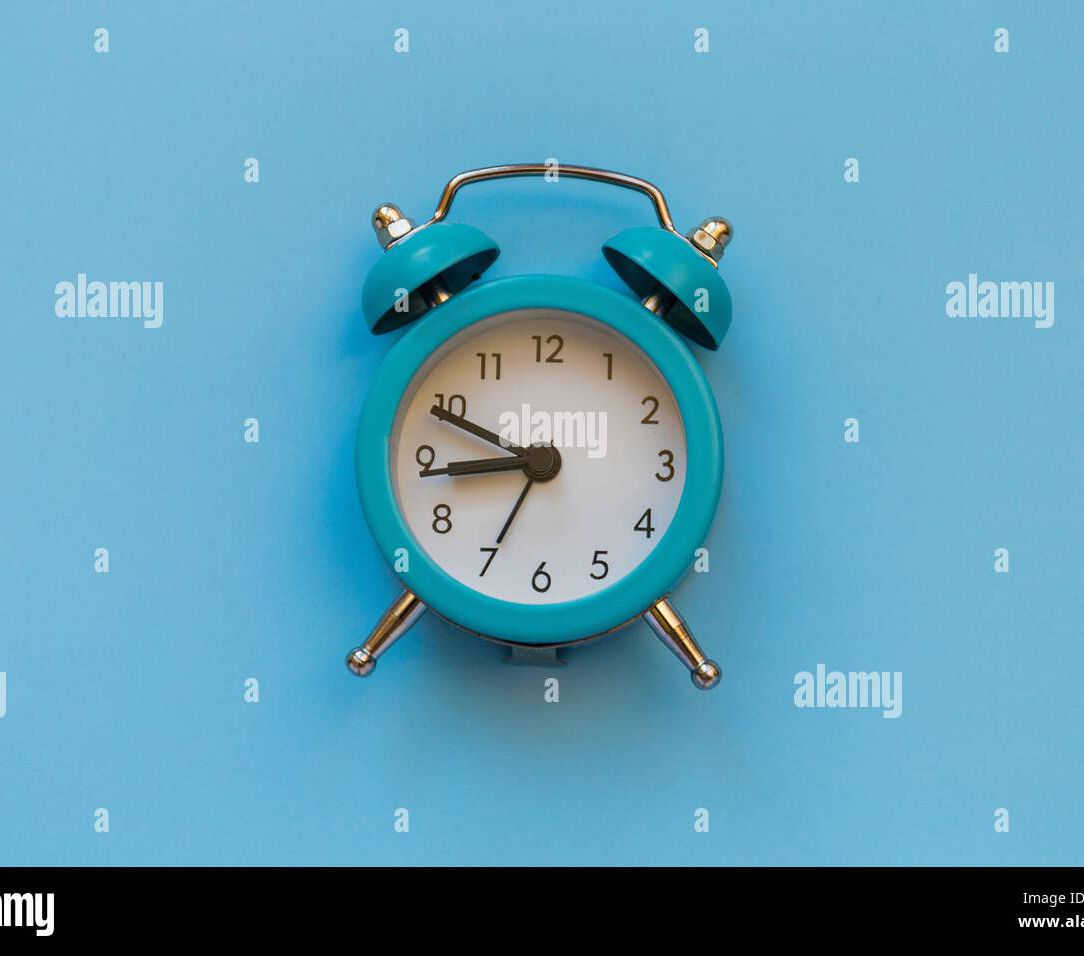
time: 8:49
